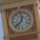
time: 12:38
